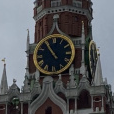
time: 10:54
